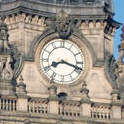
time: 8:18
